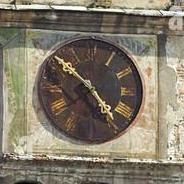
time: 4:51
